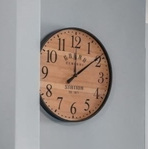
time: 12:08
